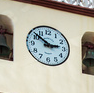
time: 2:51
